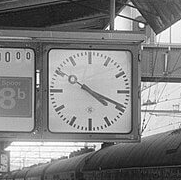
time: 4:19
